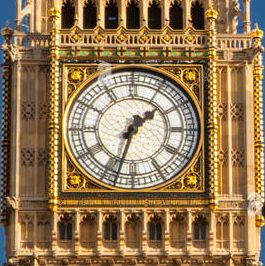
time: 1:33
